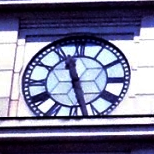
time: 11:27
